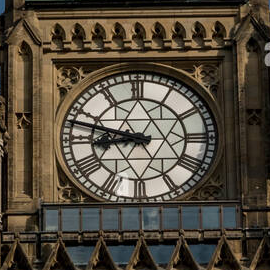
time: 8:47
